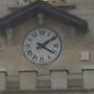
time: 4:09
